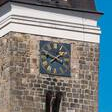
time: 1:47
